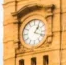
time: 1:18
